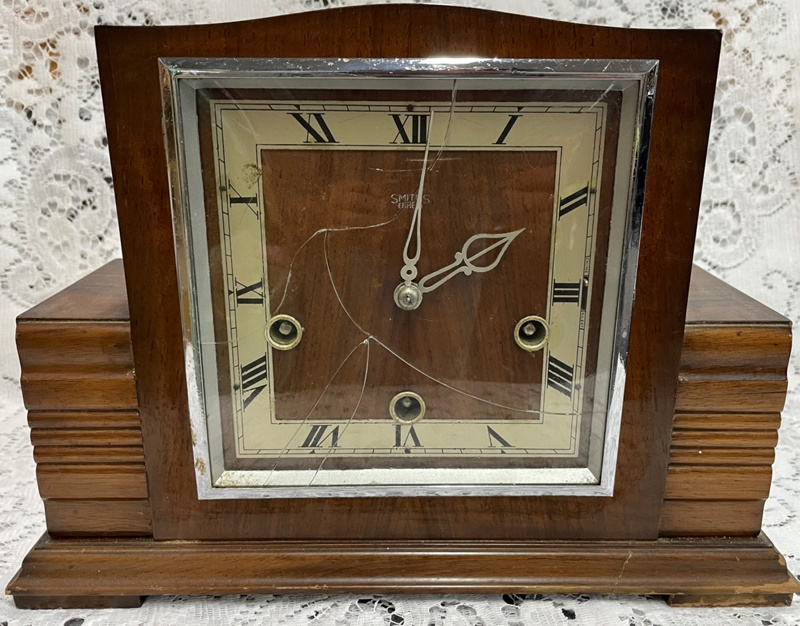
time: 2:01
